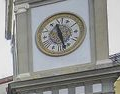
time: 11:27
